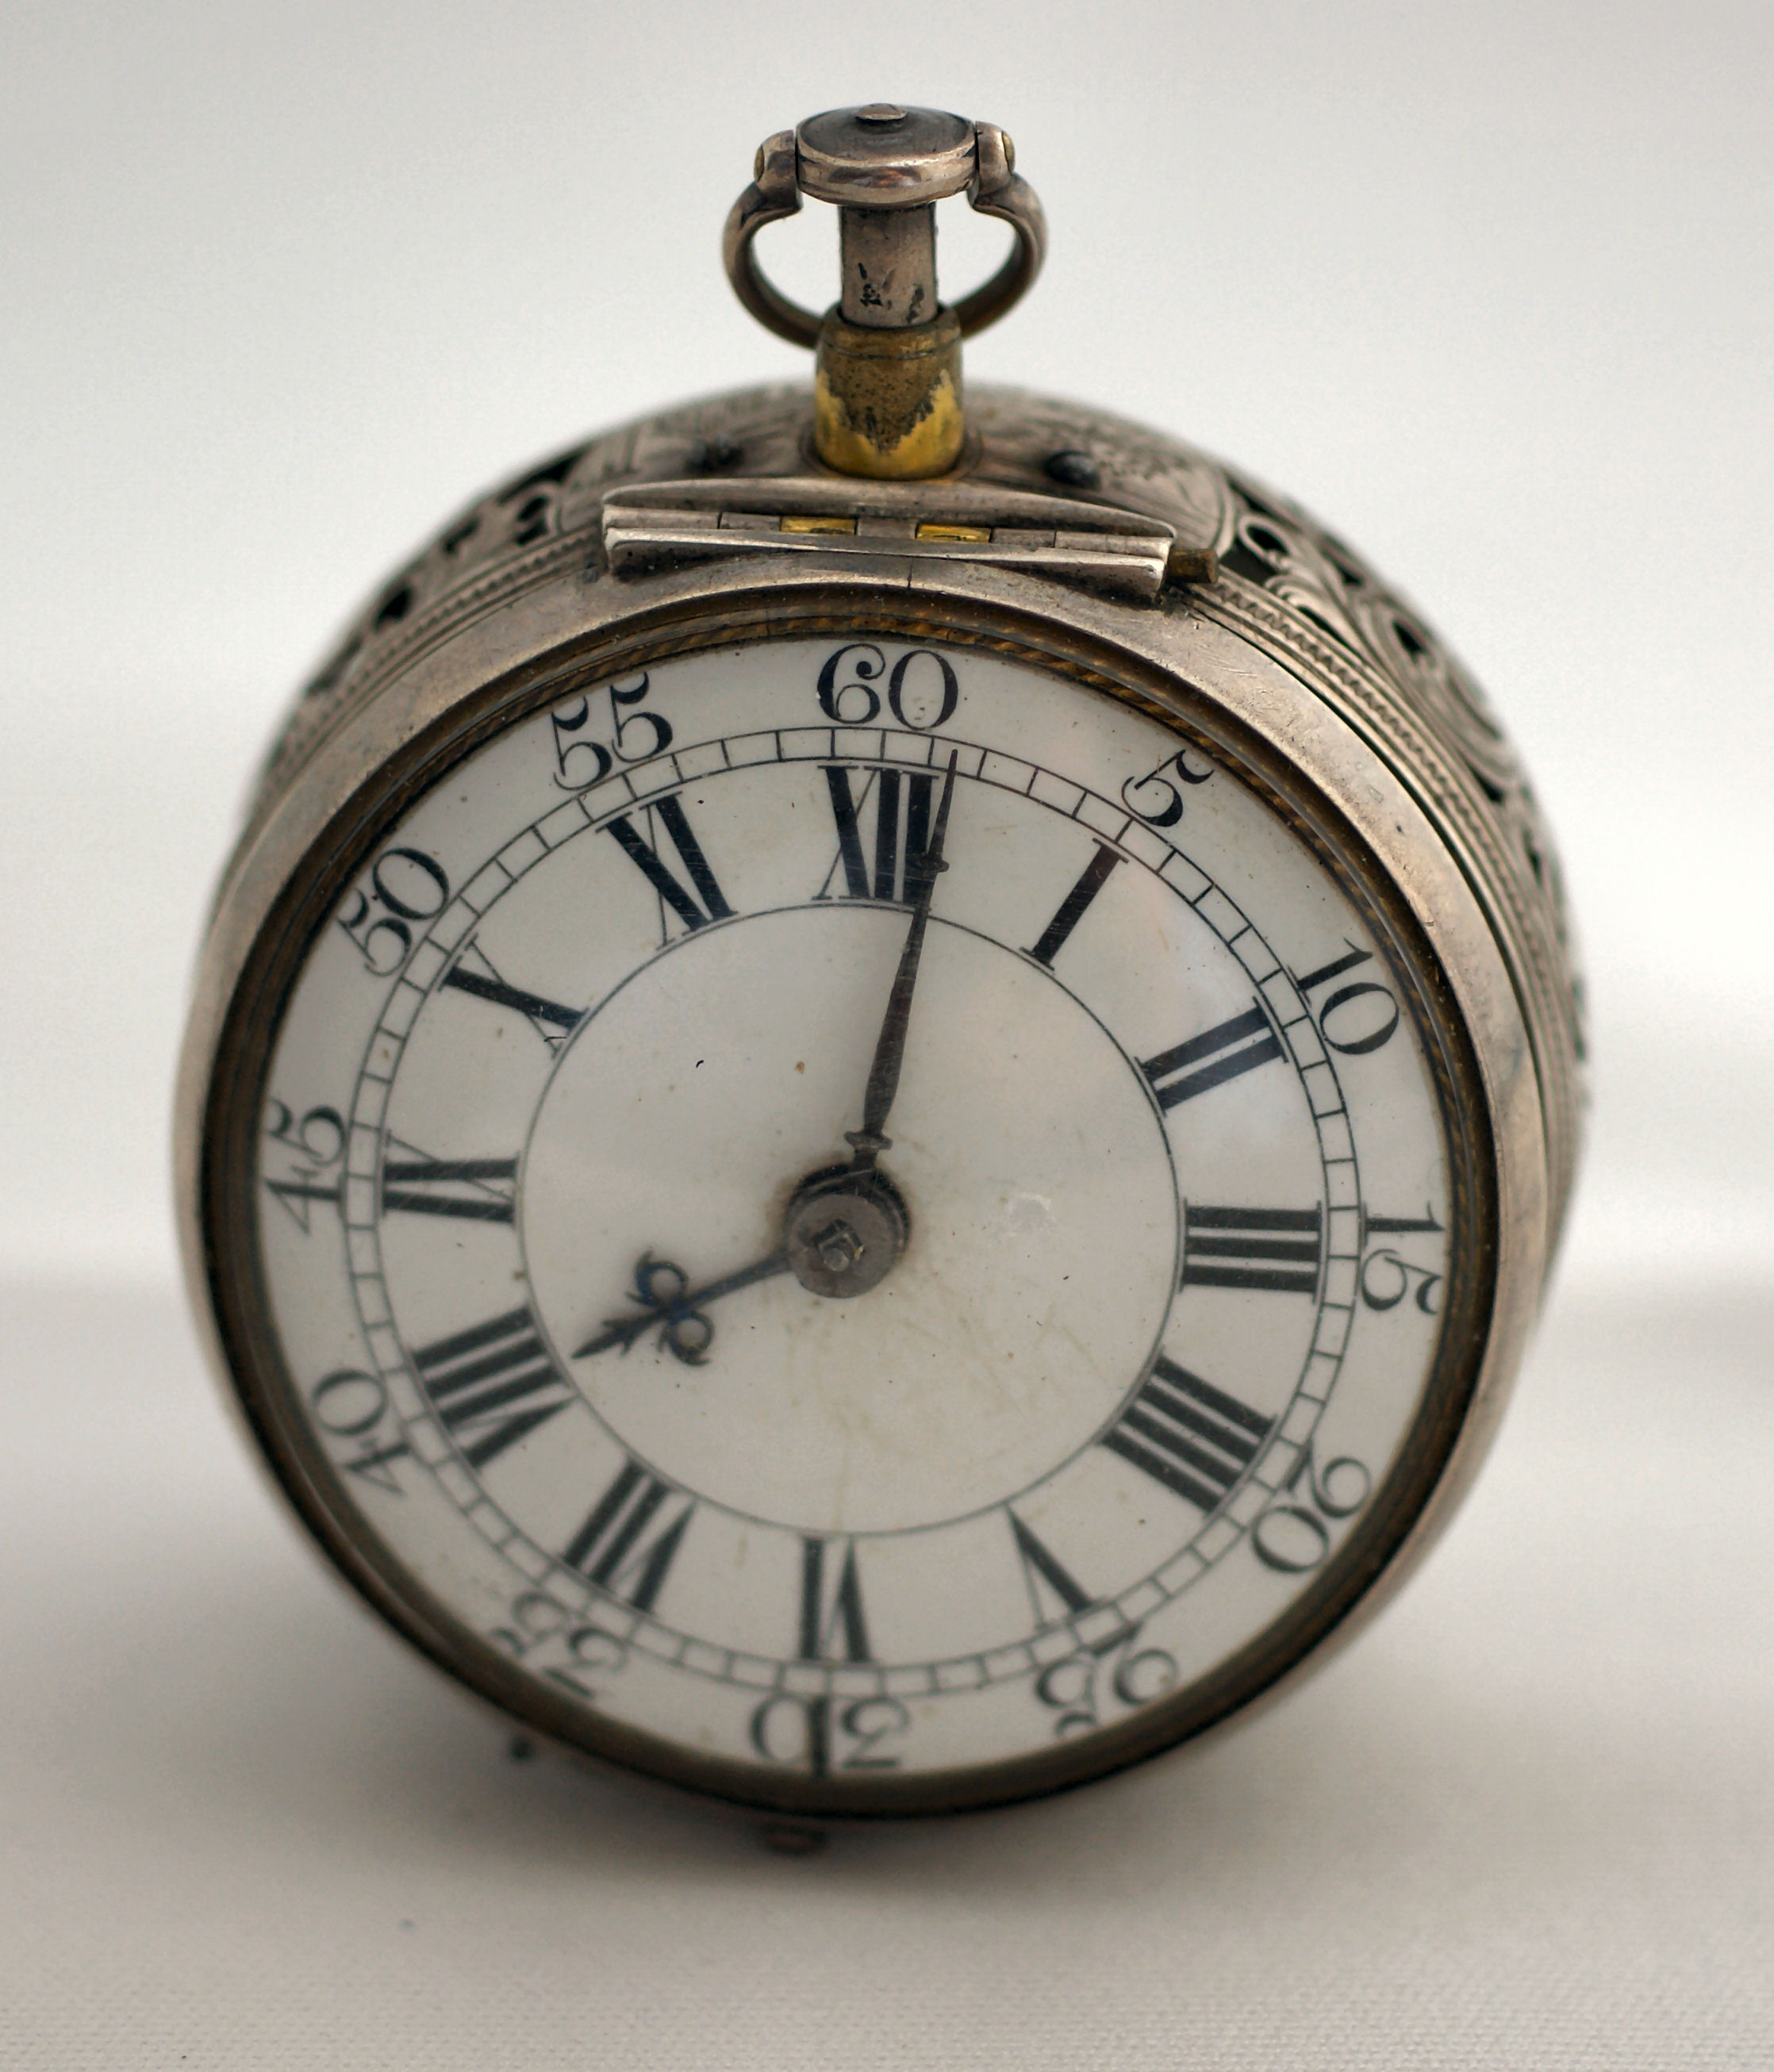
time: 8:01
